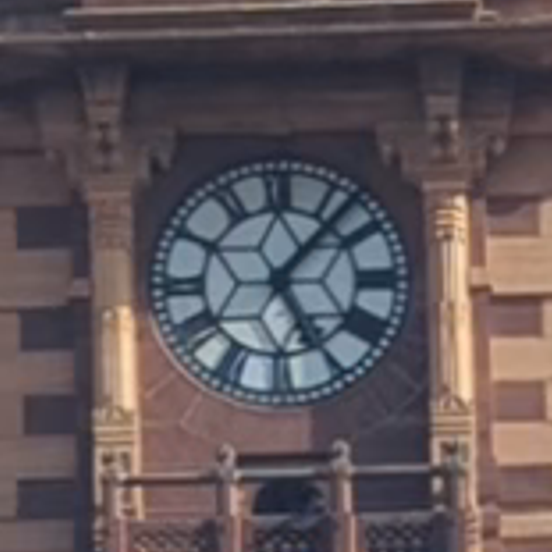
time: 5:06
